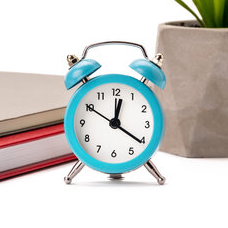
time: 12:20
